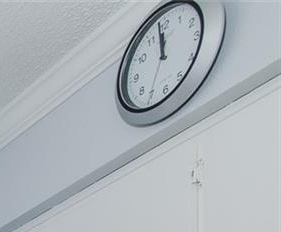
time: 11:58
